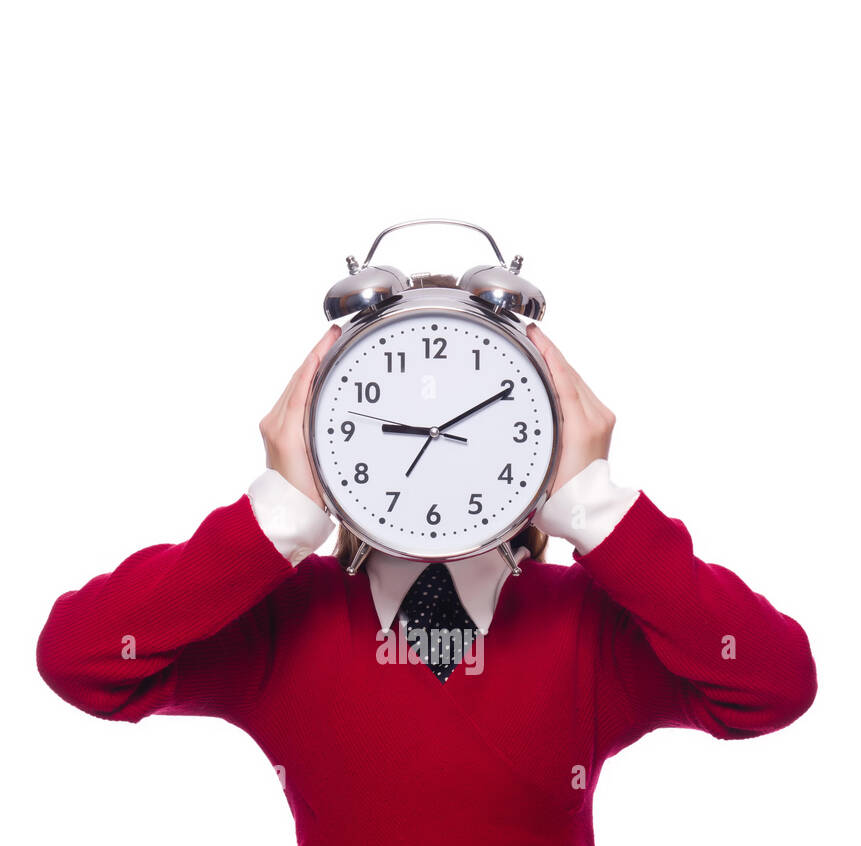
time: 9:10
